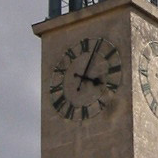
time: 4:04
